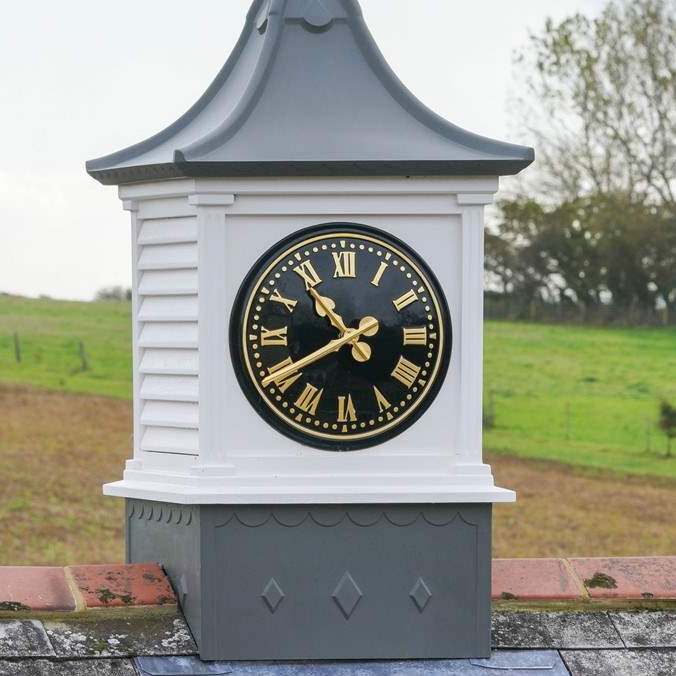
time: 10:40
